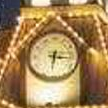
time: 6:15
